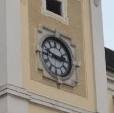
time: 2:48
